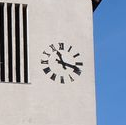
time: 11:17
